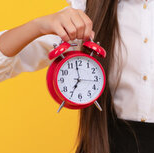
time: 6:59
